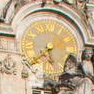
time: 5:38
